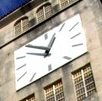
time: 12:52
